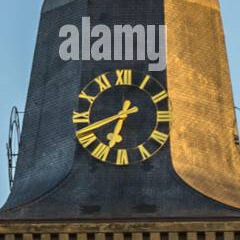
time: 6:41
